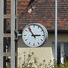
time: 2:54
